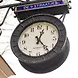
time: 12:23
